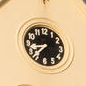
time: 8:37
